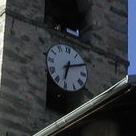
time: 6:10
